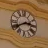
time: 2:40
